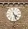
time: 4:26
